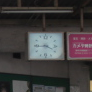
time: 3:44
